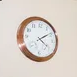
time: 4:09
